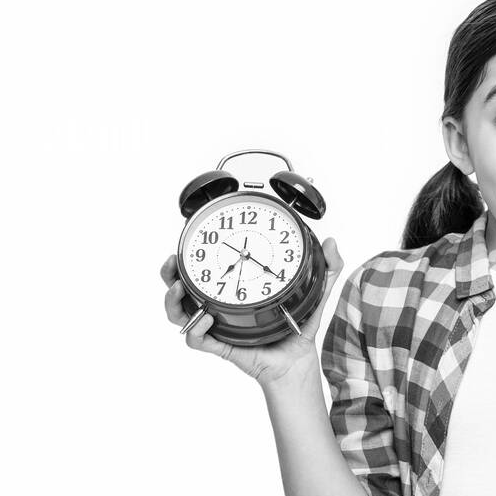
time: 7:20
